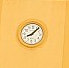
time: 8:07
